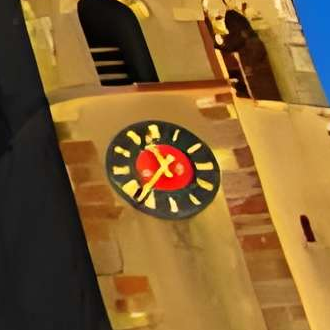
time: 11:36
